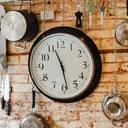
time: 11:28
